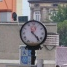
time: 12:23
